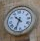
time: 10:34
